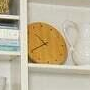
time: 10:41
